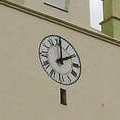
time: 2:00
